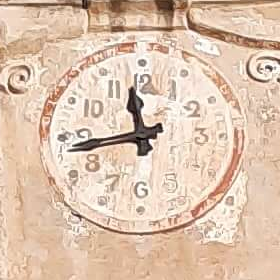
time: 11:43
